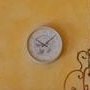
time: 9:07
